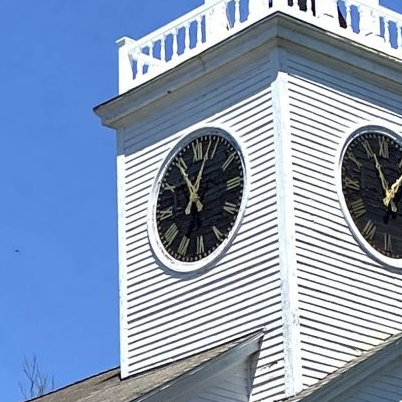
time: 11:03
